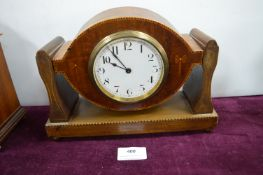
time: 9:53
